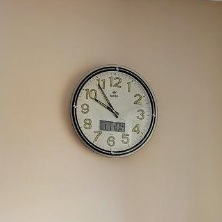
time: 9:54
